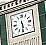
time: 5:30
